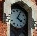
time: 4:04
